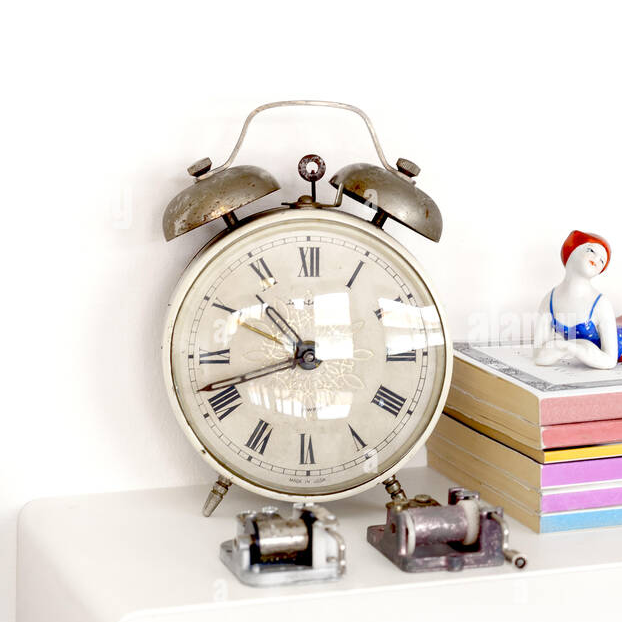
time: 10:41
